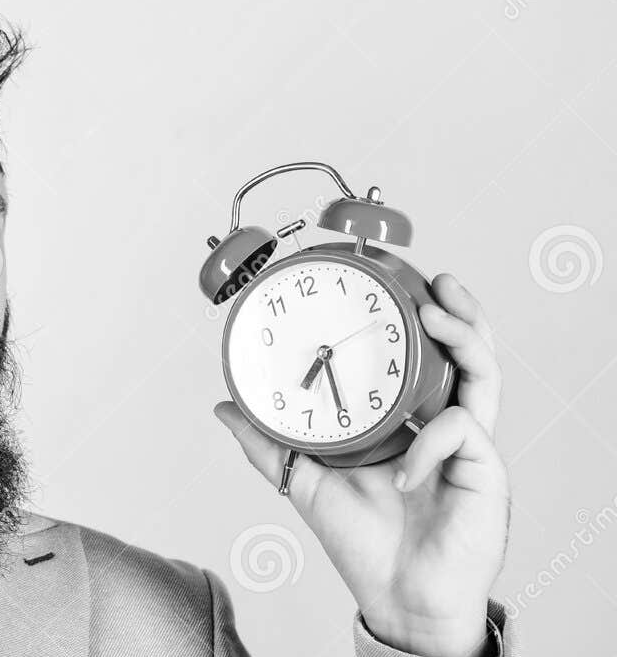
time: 7:30
